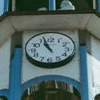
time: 10:56
